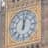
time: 12:02
